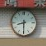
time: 8:30
